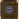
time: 7:46
